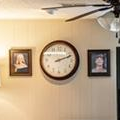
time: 2:11
